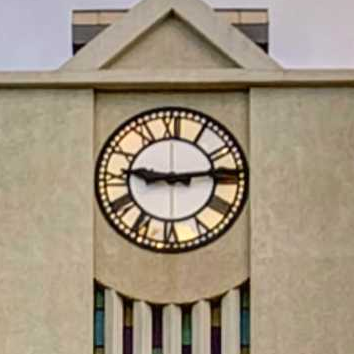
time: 9:13
